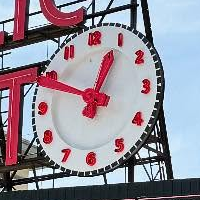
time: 12:49
